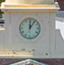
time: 12:05
